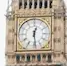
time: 12:28
